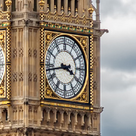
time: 3:43
